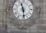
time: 11:28
